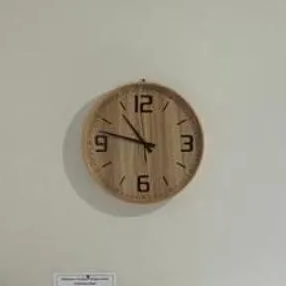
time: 10:47
